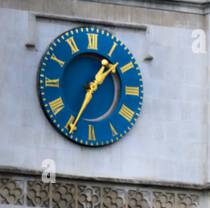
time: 1:34
